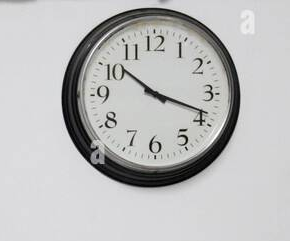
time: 10:18
